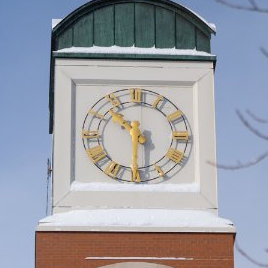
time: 10:30
